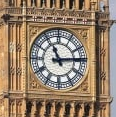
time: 11:13
